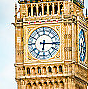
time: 6:15
